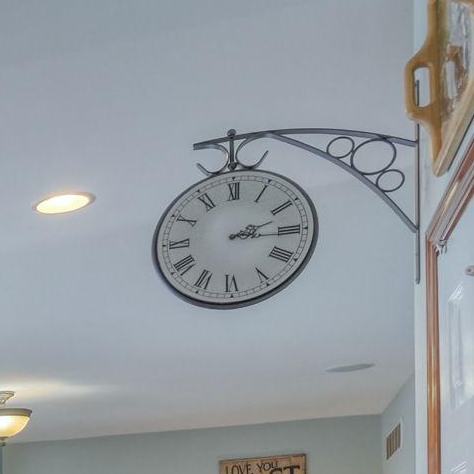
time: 2:15
